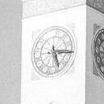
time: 5:15
